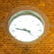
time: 4:47
